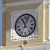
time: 11:03
